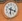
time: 6:18
